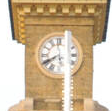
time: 5:40
